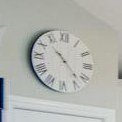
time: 10:22
